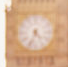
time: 4:33
